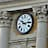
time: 10:14
